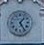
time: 1:24
